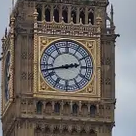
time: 2:42
